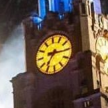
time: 7:15
